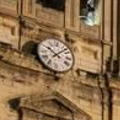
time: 10:07
